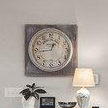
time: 12:43
